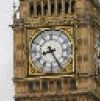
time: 8:25
